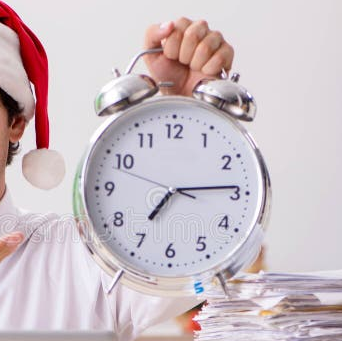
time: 7:14
